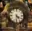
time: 4:31
